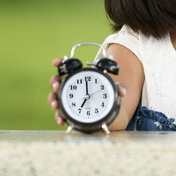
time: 6:59
